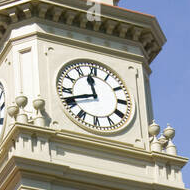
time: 11:41
